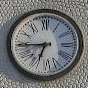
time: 6:45
